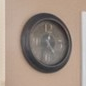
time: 4:34
